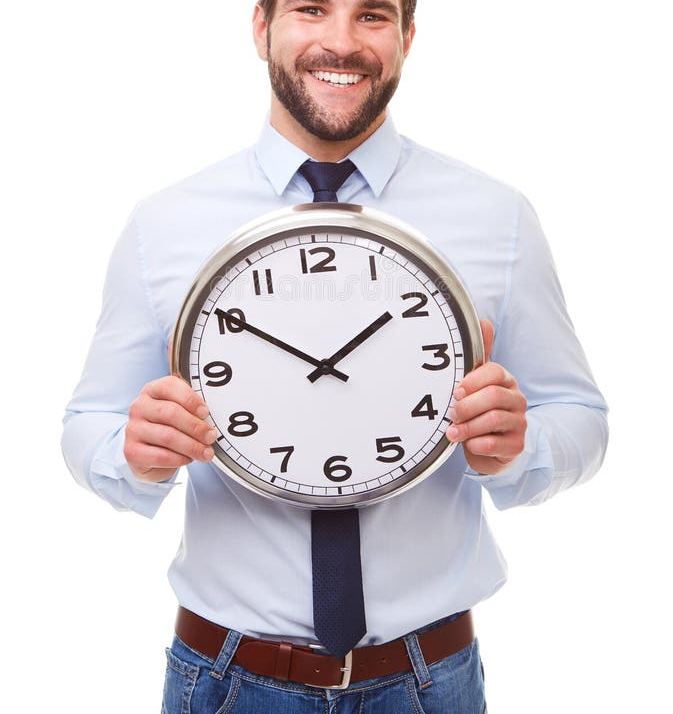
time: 1:50
